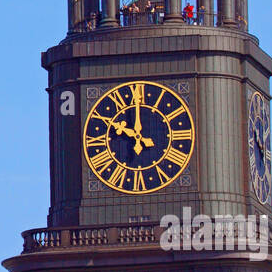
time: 10:00
